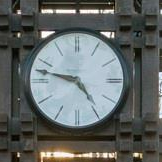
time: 4:46
